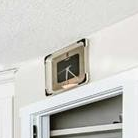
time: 6:23
